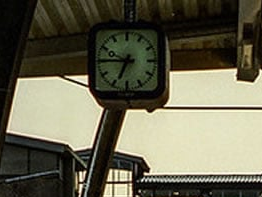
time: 6:45
